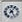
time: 5:06
